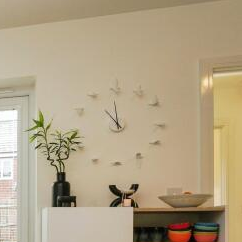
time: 10:59
